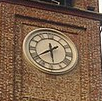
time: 5:40
